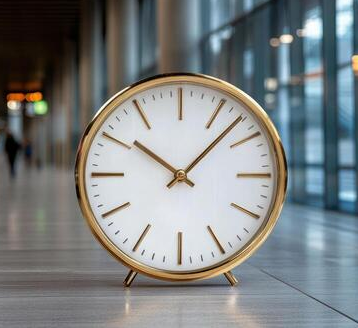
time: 10:07
